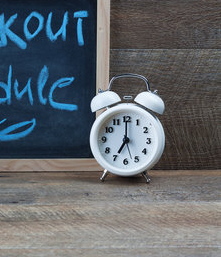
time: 7:00
